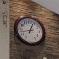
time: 12:42
